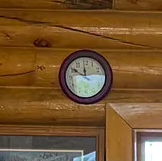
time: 11:50
